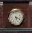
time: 5:18
